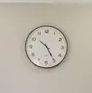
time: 10:24
